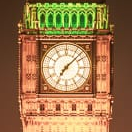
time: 7:07
